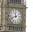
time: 11:41
